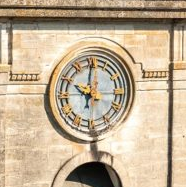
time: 10:00
